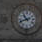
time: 10:41
